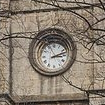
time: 3:12
